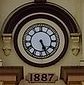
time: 5:26
